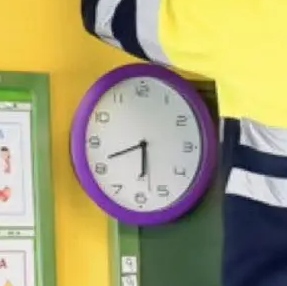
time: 5:41
